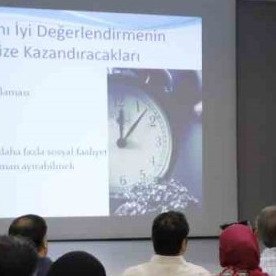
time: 12:07
